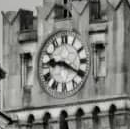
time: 9:20
